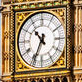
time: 10:34
